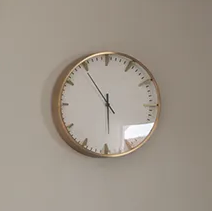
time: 5:54
